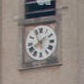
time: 8:07
